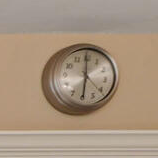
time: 5:59
